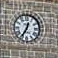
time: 12:34
